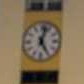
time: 5:02
